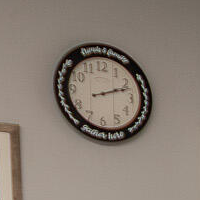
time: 2:12
